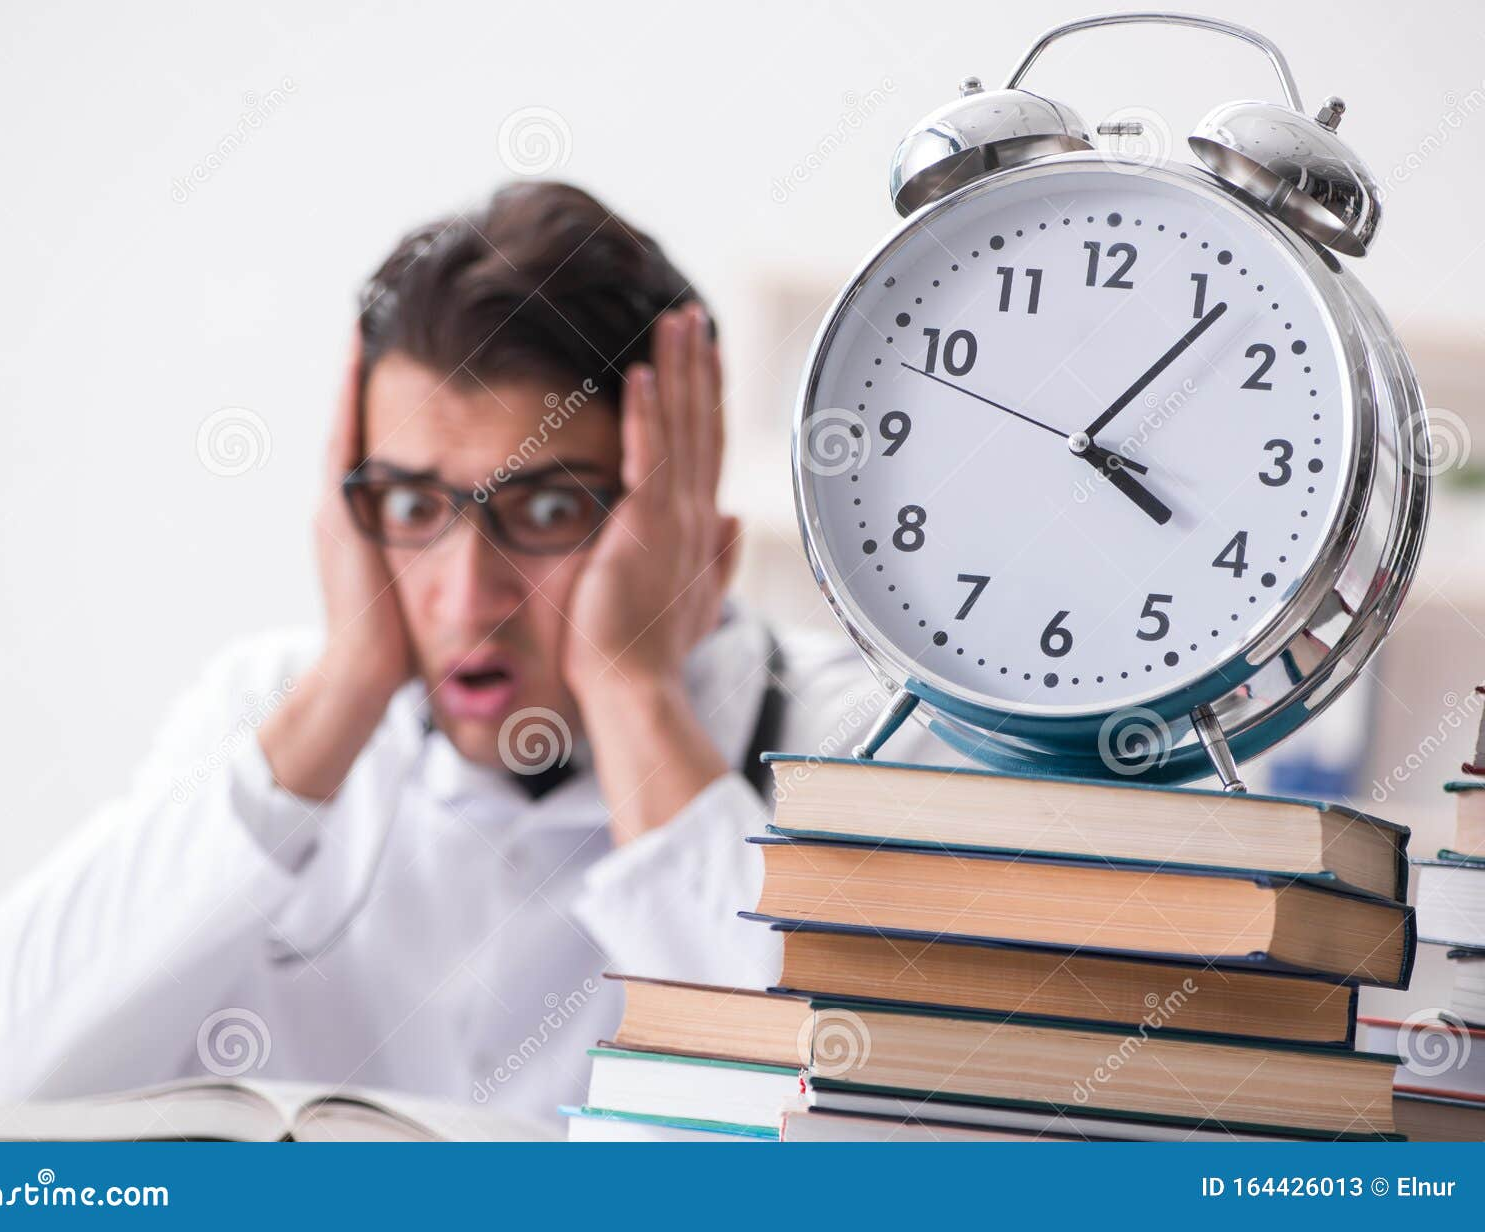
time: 4:06
